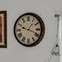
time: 1:18
